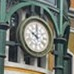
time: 10:00
